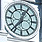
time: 12:36
